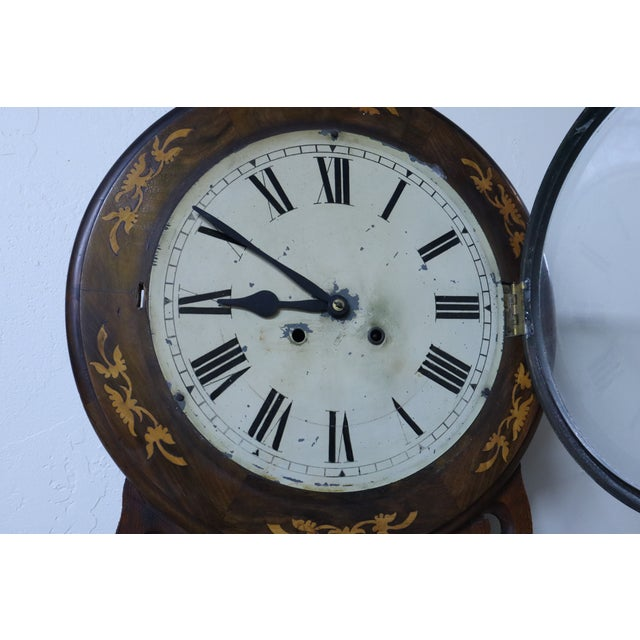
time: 8:50
